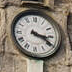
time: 3:19
